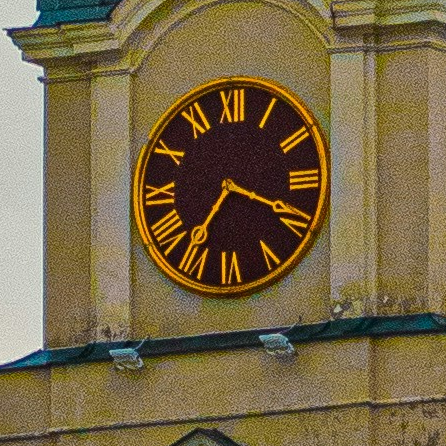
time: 7:18
